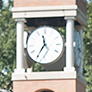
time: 11:35
